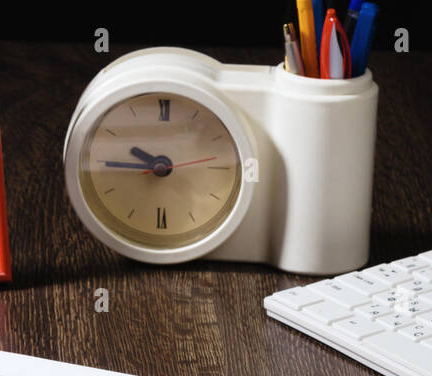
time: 9:44
